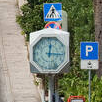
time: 12:16
